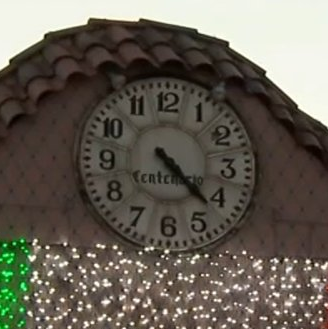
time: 4:22
